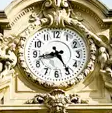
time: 8:24
